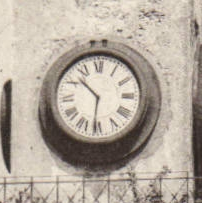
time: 10:31
